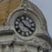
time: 3:52
